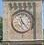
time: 11:22
